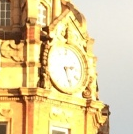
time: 2:26
